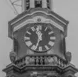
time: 11:32
